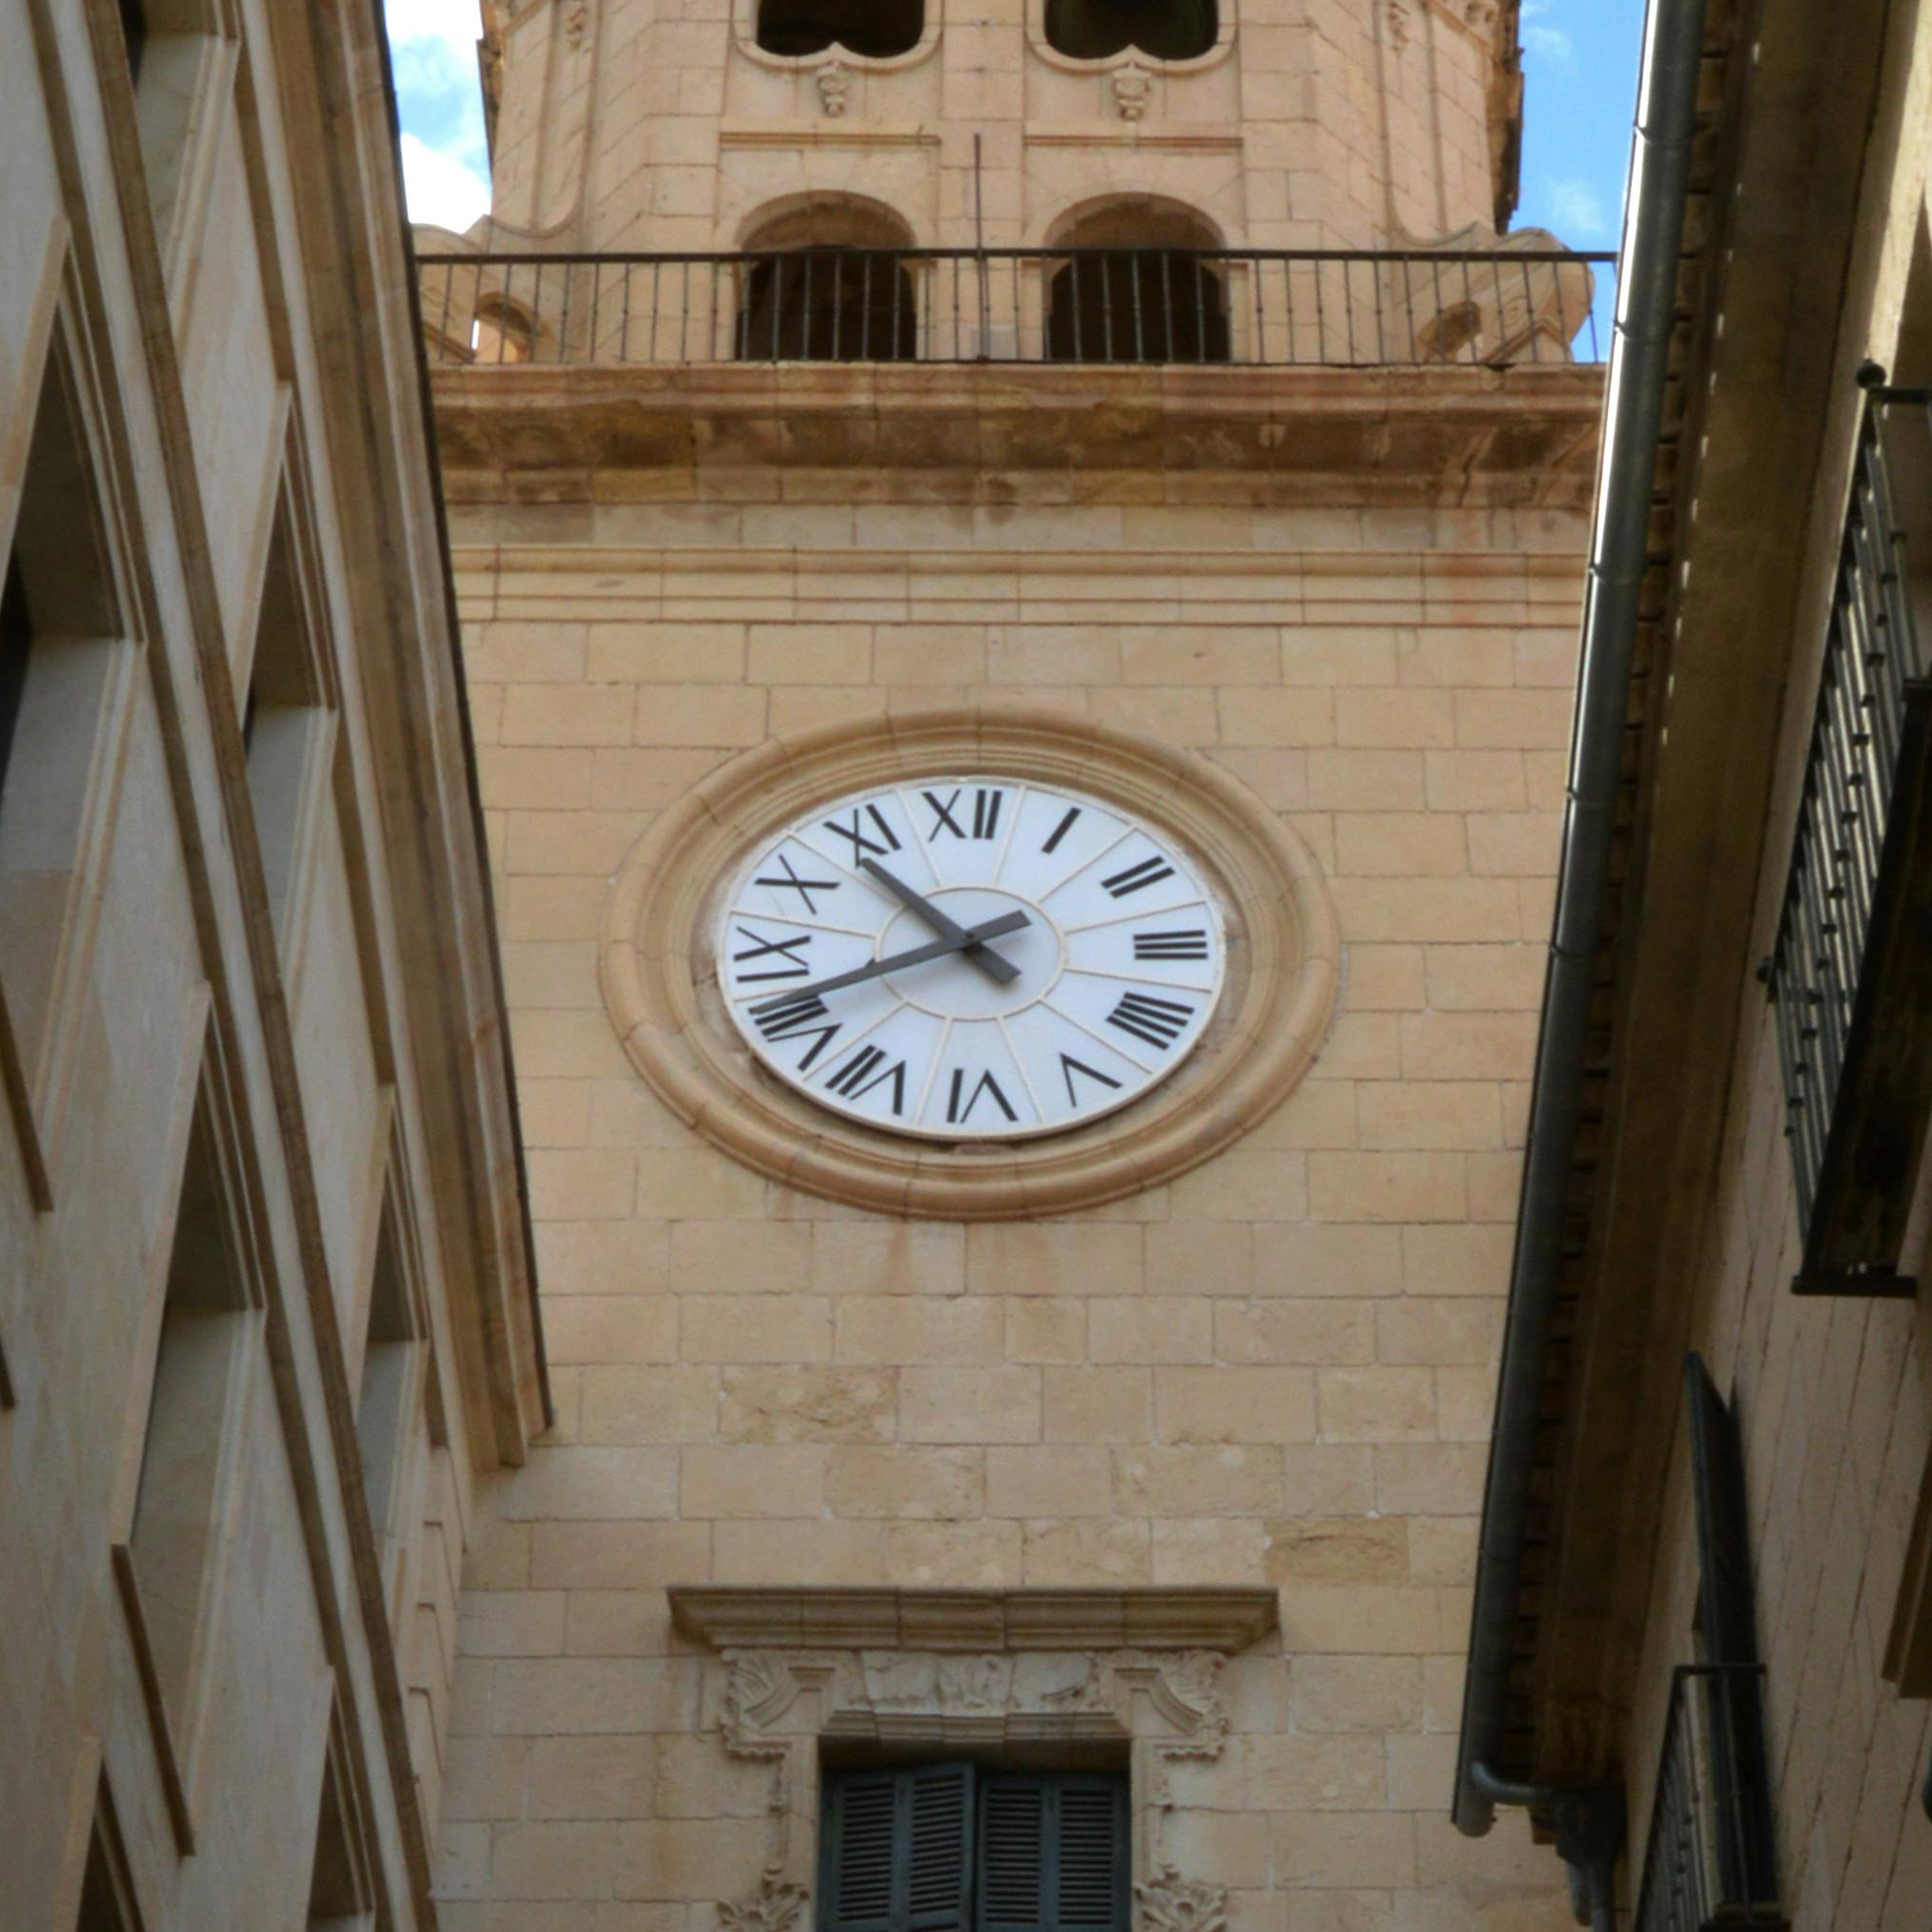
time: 10:41
